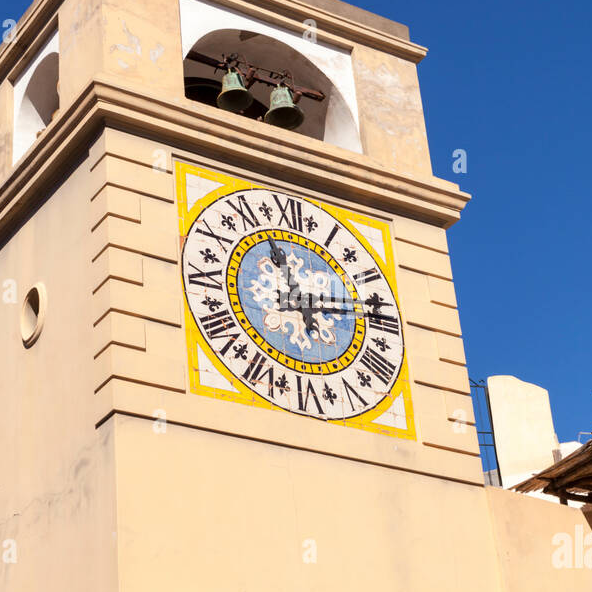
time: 11:13
